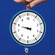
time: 9:48
